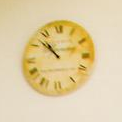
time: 10:52
